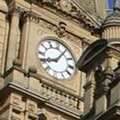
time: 8:05
